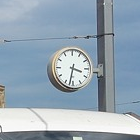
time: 3:32
